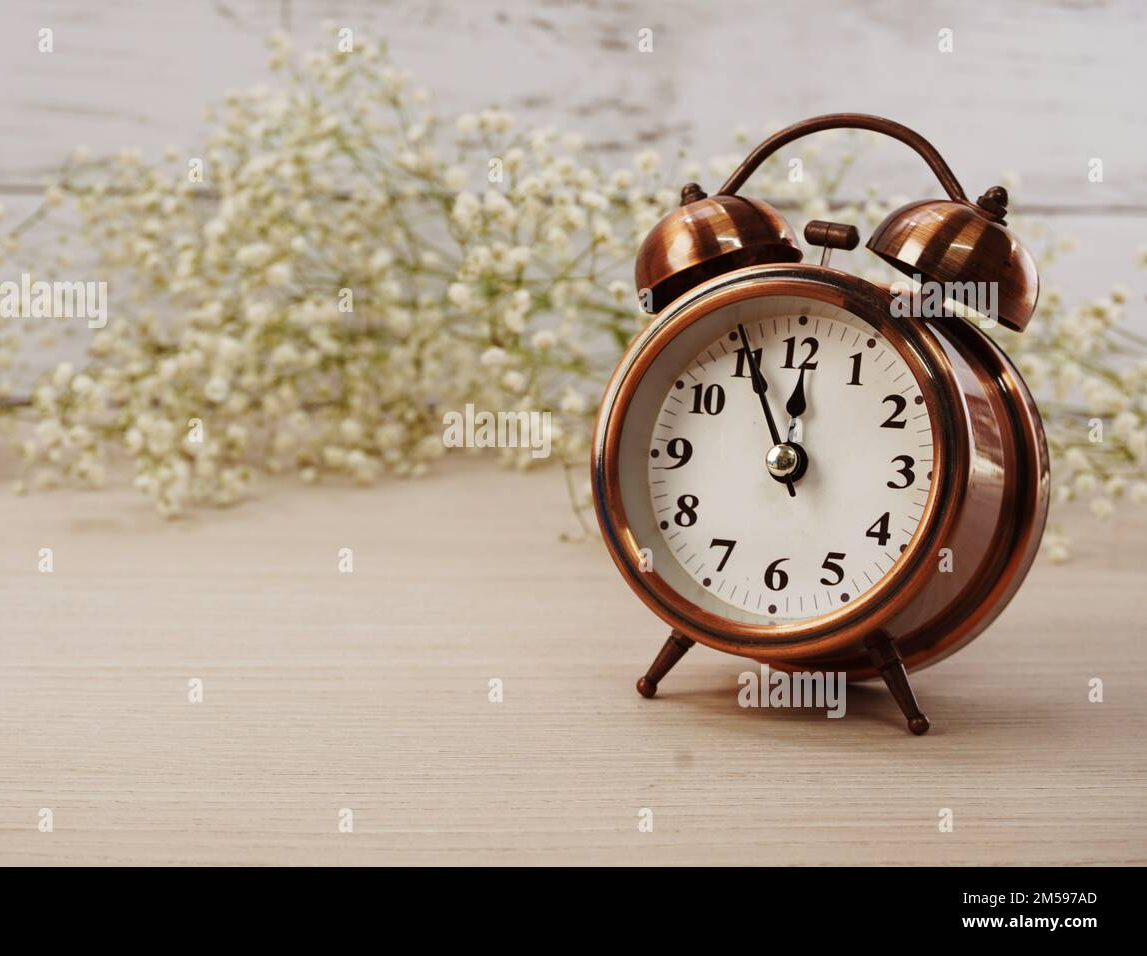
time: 11:55
